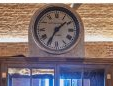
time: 1:35
